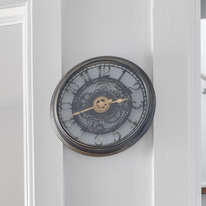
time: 2:41
